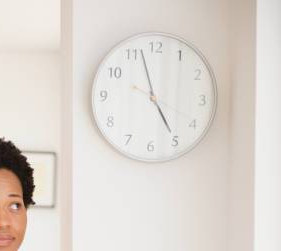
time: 4:57
